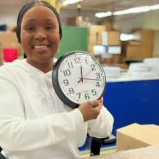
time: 12:17
